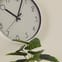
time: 10:03
